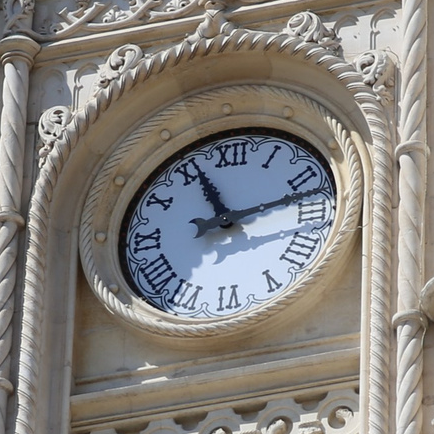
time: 11:12
